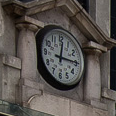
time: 12:14
